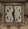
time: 12:27
